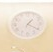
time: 1:20
